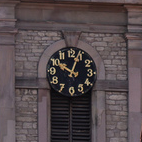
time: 10:03
